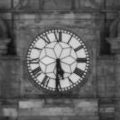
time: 5:30
